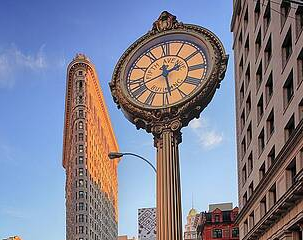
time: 11:28
